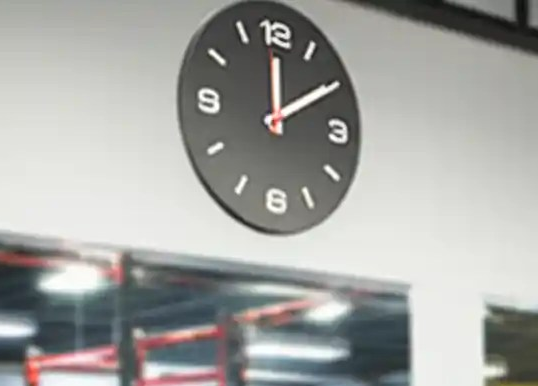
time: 12:09
